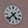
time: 4:37
